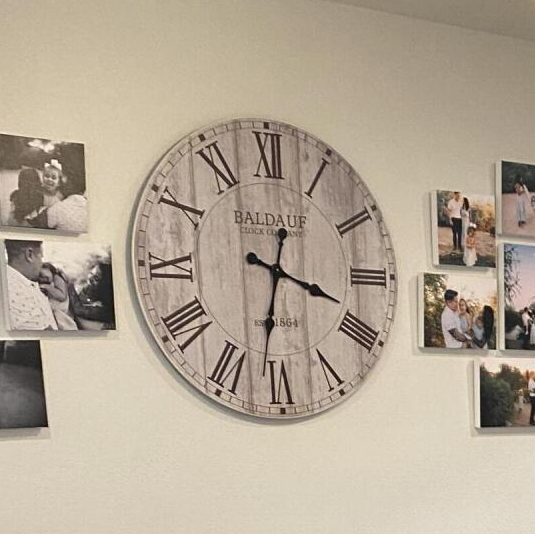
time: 3:31
